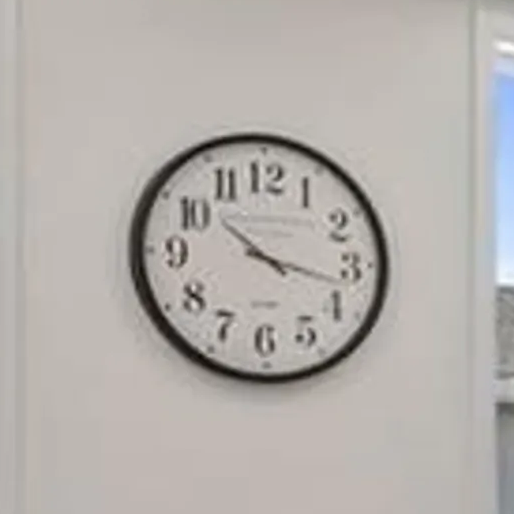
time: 10:17
